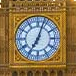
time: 7:03
